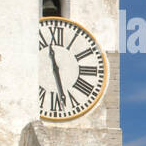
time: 11:28
